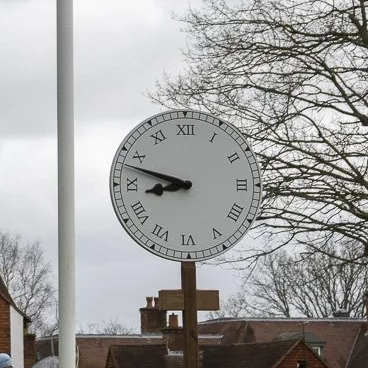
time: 8:48
